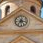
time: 7:17
